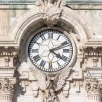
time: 4:10
